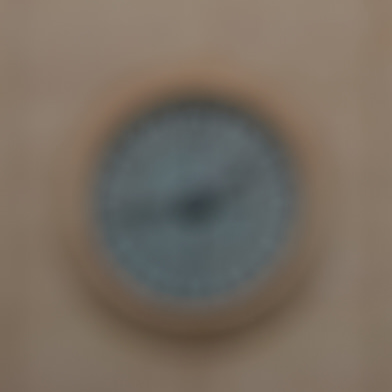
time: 1:43
